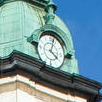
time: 4:02
